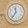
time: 11:36
